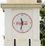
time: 11:32
